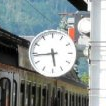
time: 5:44
